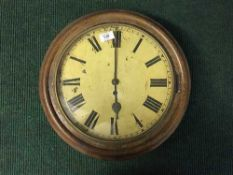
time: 6:00
